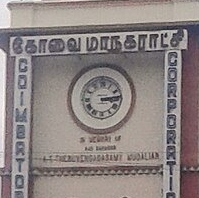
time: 3:13
